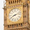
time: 8:12
